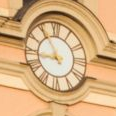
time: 8:54
